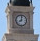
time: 8:01
